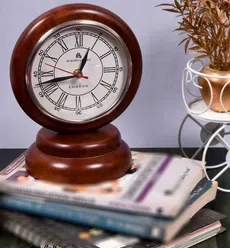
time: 12:42
